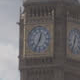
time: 12:34
